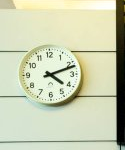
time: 4:11
